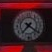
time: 7:21
